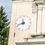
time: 11:41
